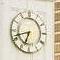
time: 6:42
